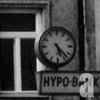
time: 5:22
